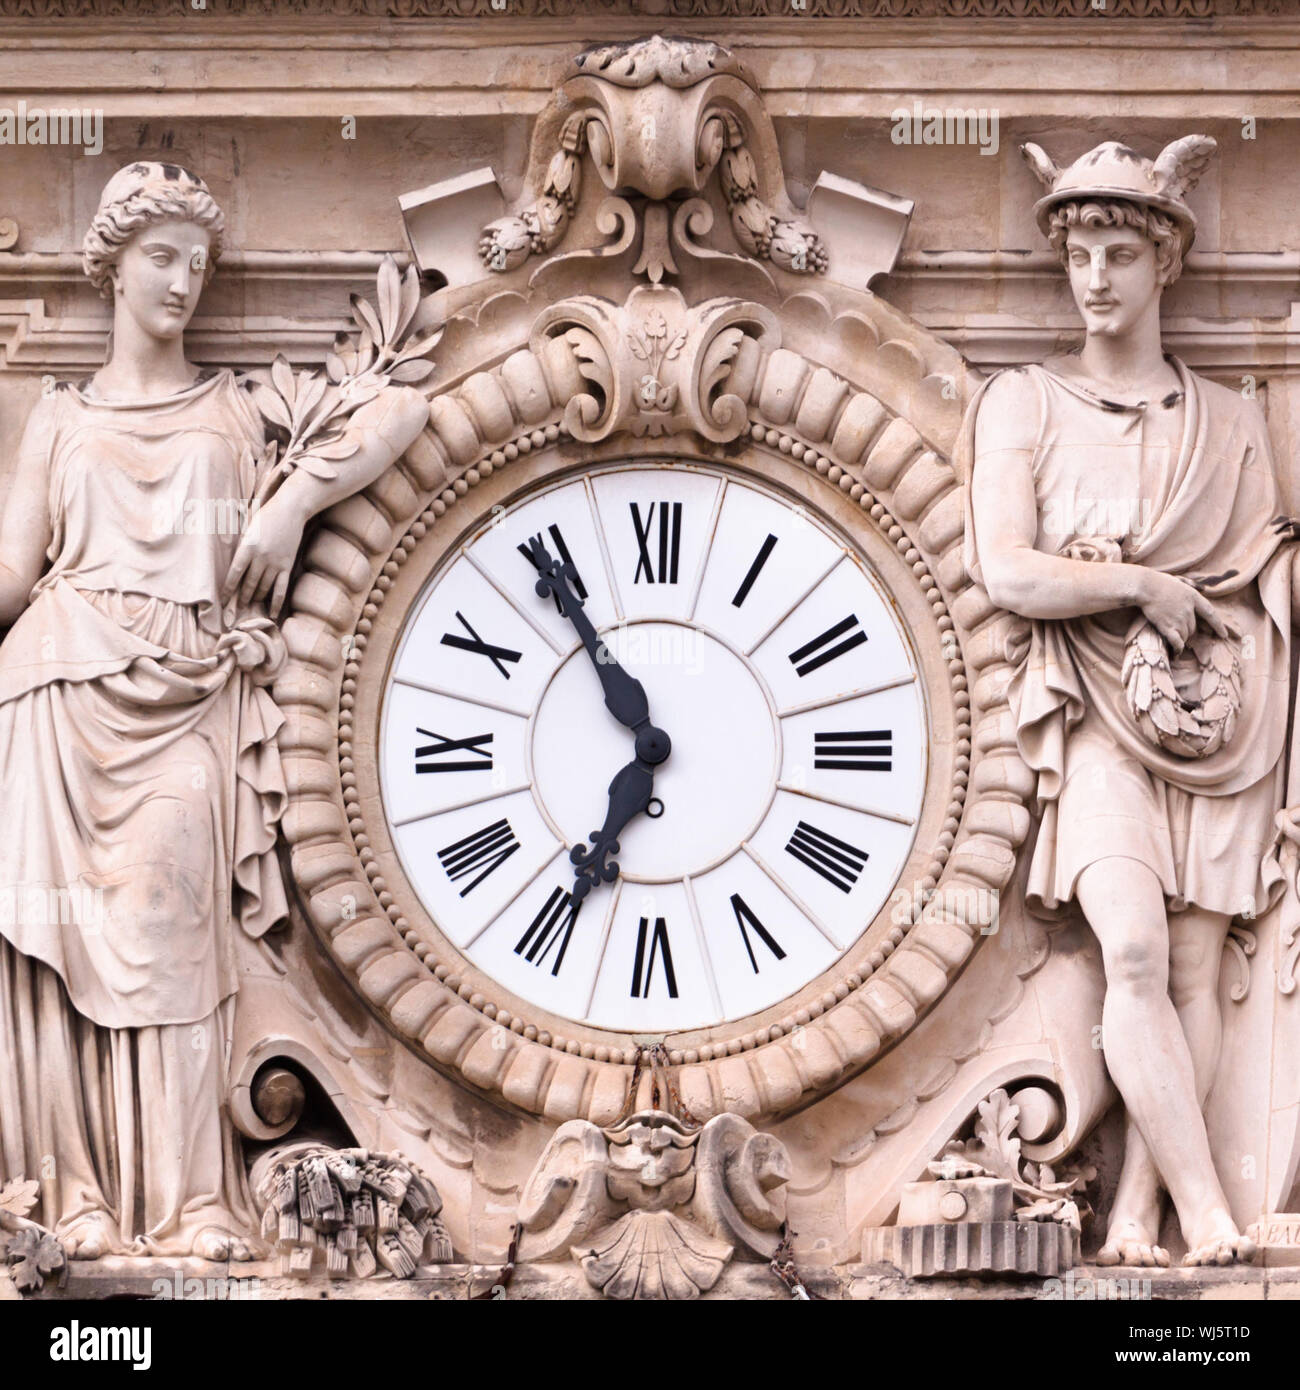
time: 6:54
